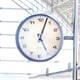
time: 5:03
